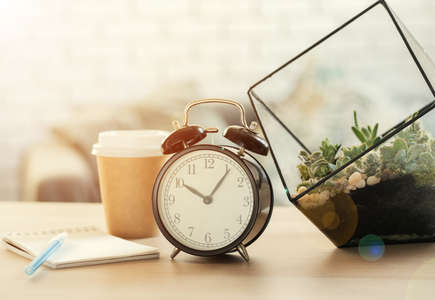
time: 10:06
